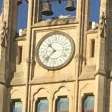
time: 10:37
